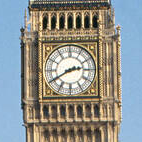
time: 2:40
